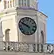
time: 4:49
